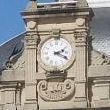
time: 2:18
